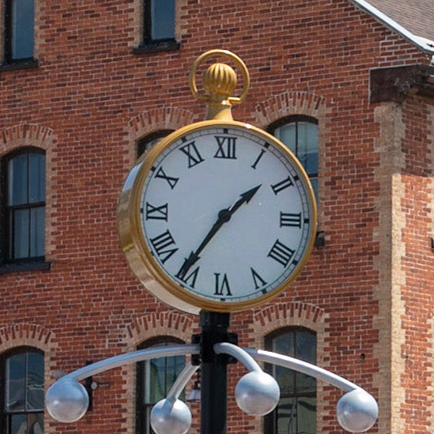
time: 1:35
